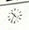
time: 10:36
